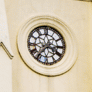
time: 3:36
